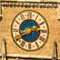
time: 2:40
